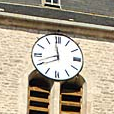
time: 11:41
